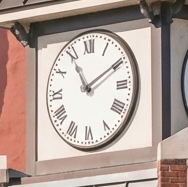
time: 11:09
